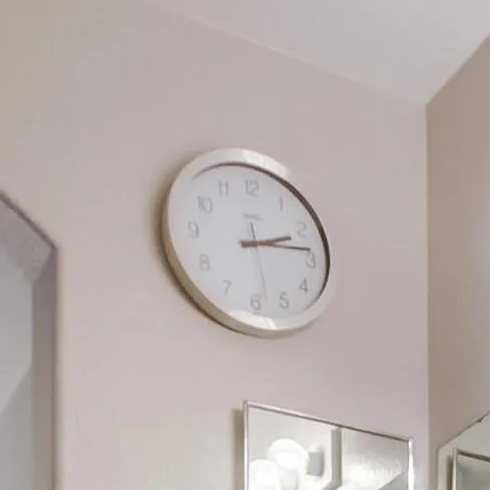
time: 2:13
